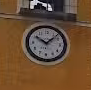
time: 10:07
